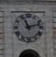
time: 11:12
